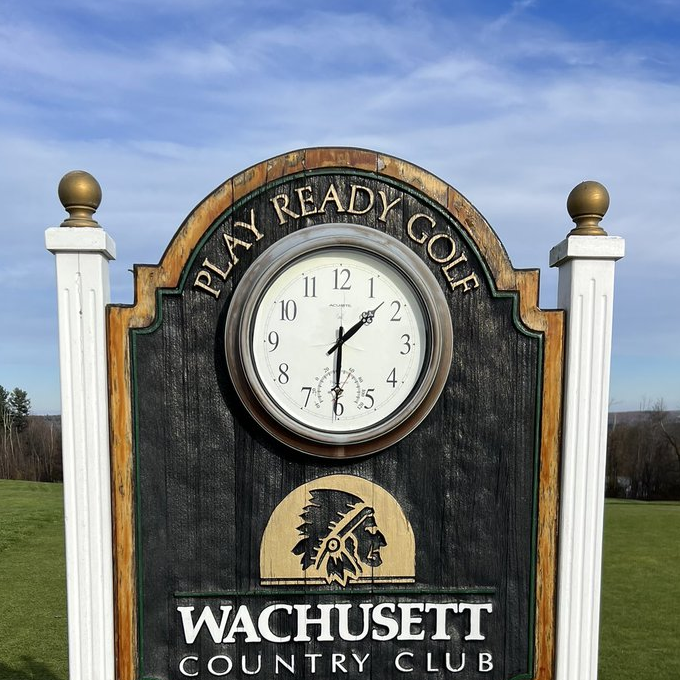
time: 1:30
